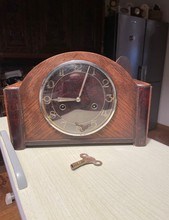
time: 9:03
